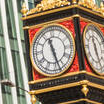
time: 11:27
